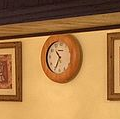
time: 10:34
